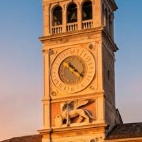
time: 10:21
